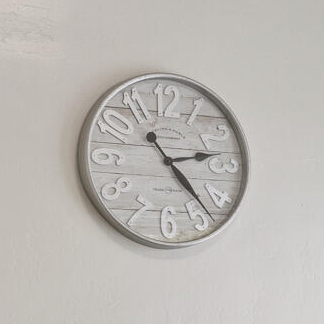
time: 2:23
